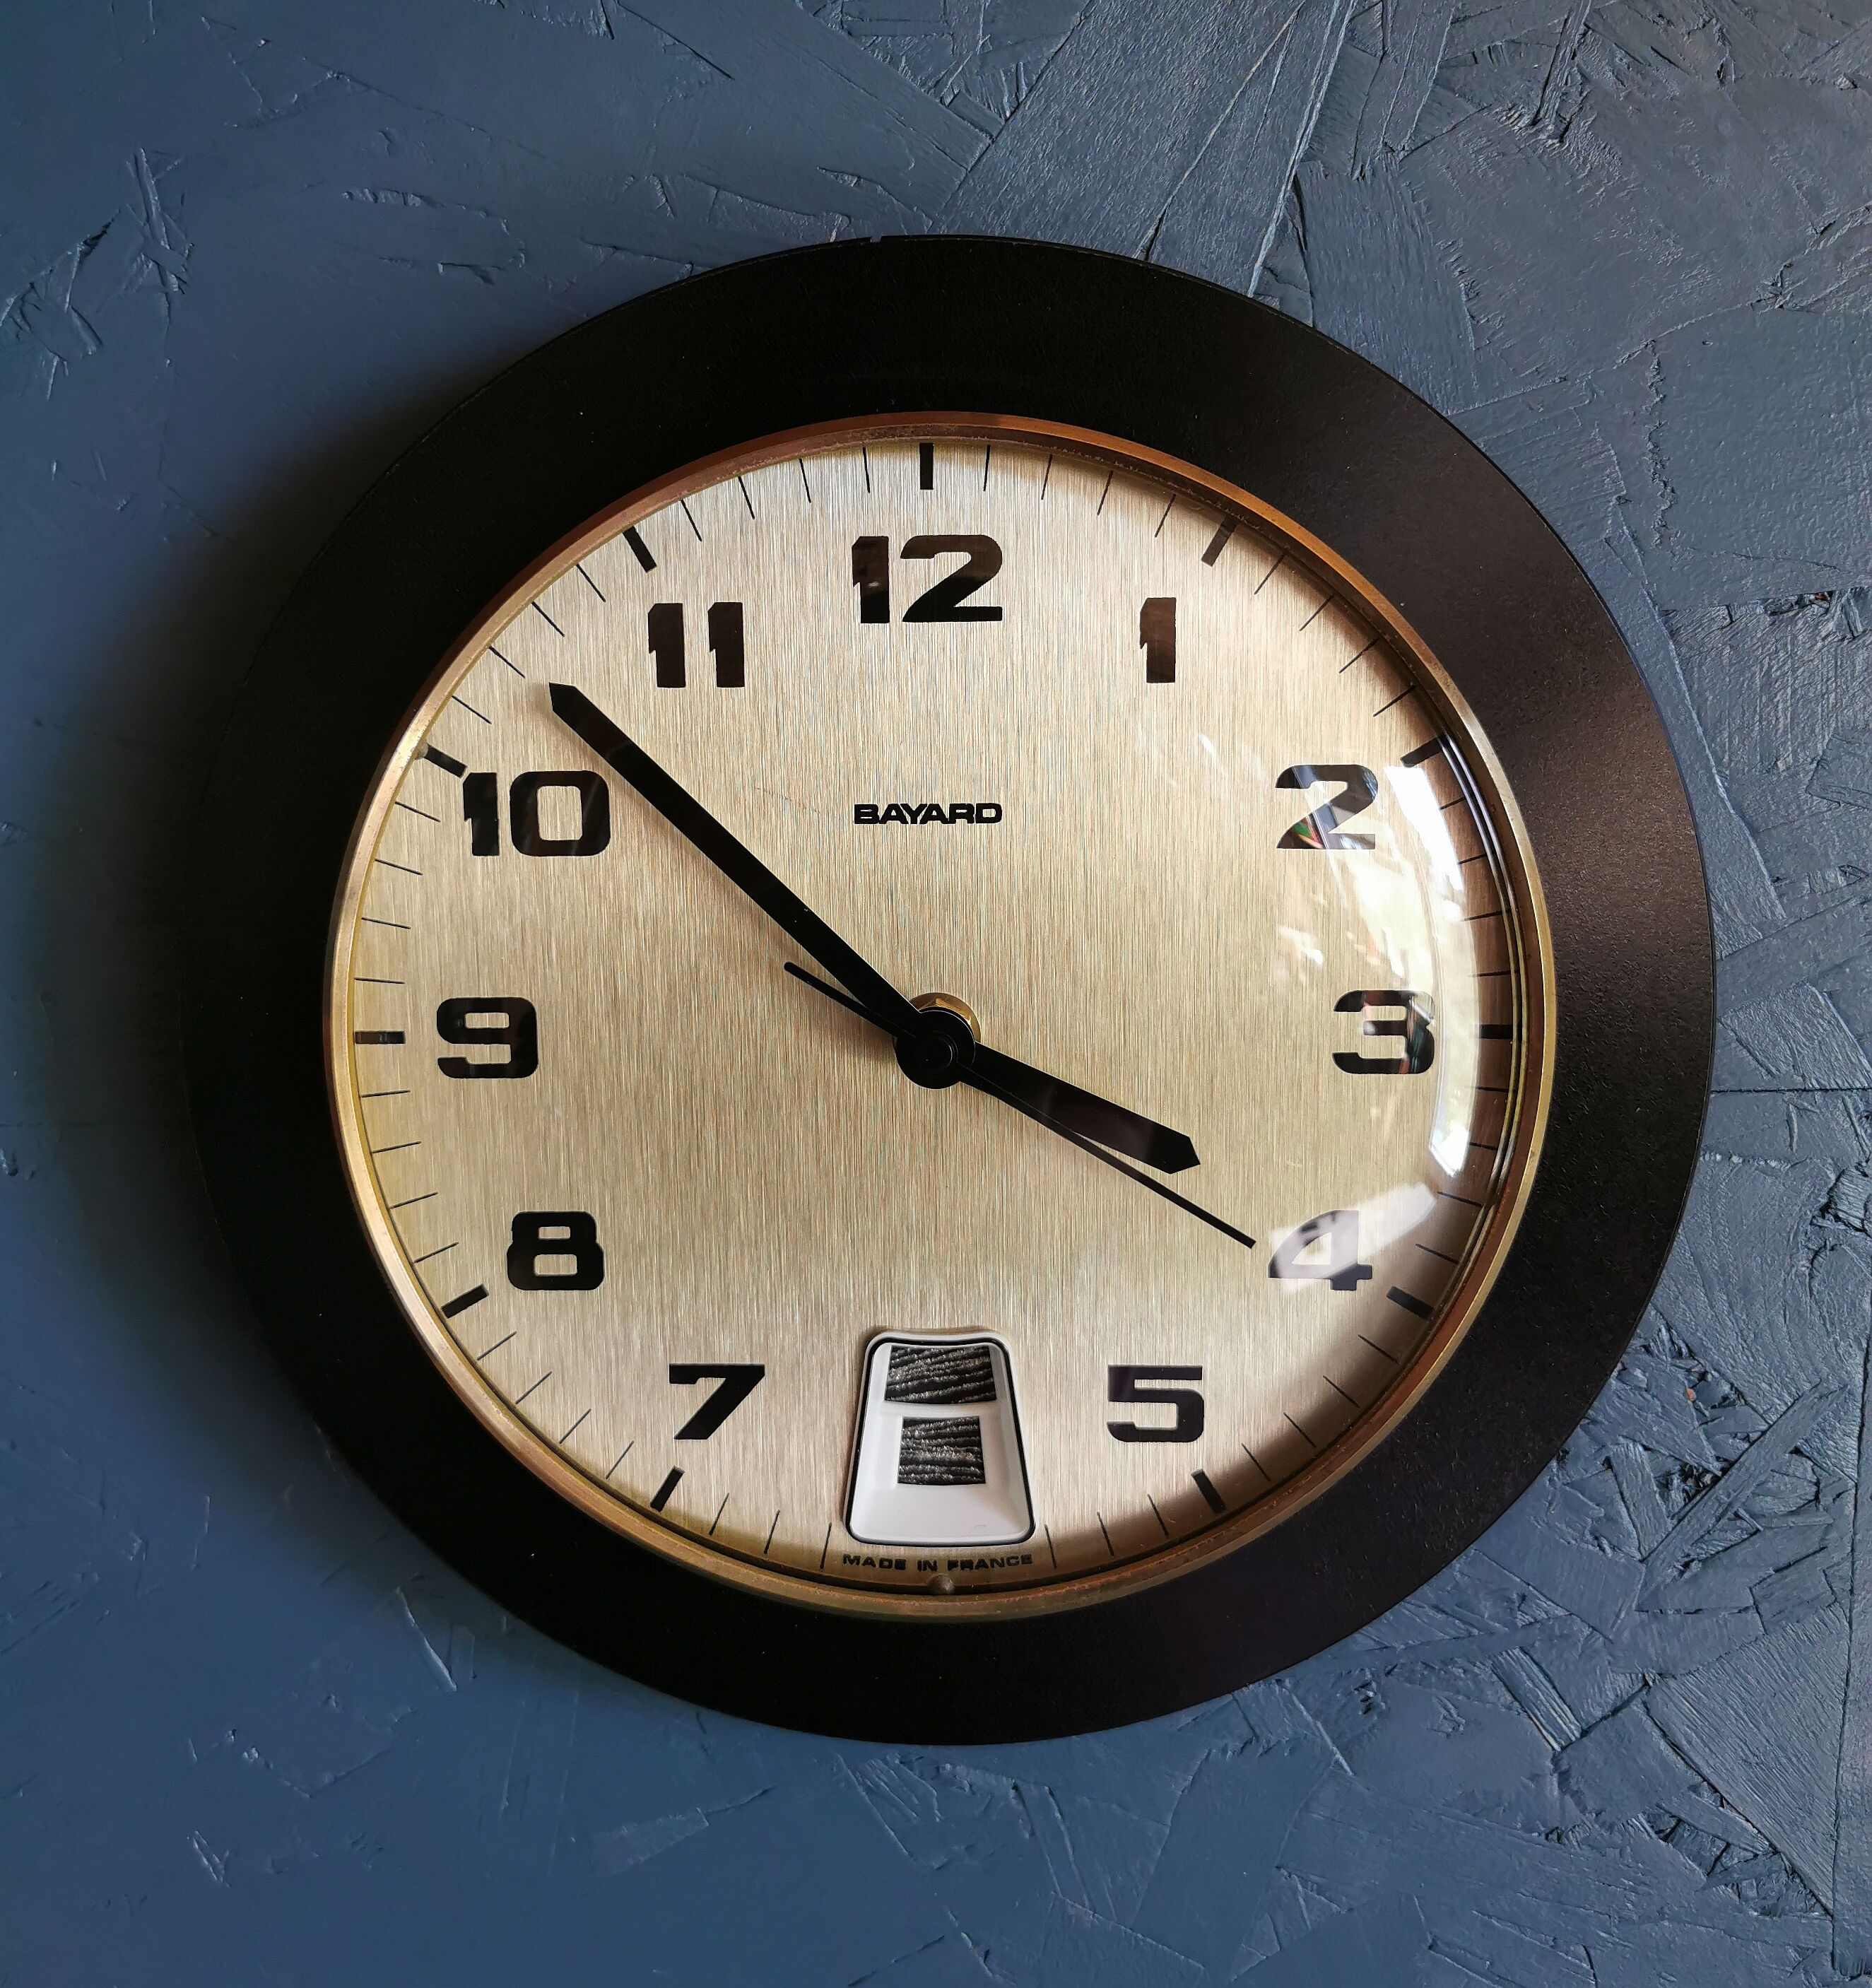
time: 3:52
